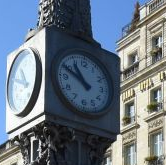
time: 10:49
